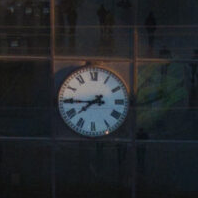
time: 7:44
